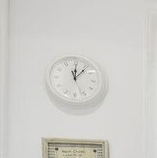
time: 12:06
